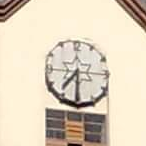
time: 7:30
